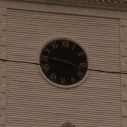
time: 9:17
